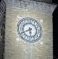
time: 5:40
